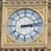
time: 3:13
